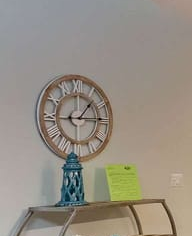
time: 1:14
